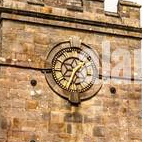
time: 1:33
